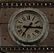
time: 7:15
